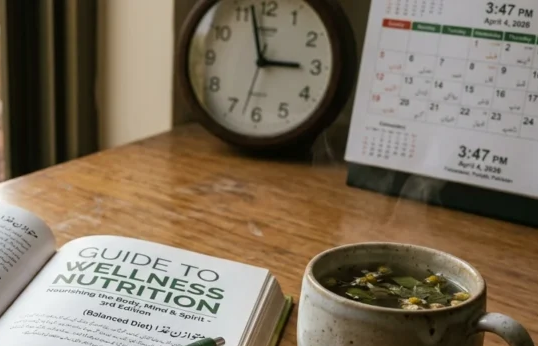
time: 2:57
